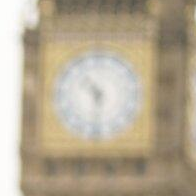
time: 10:31
